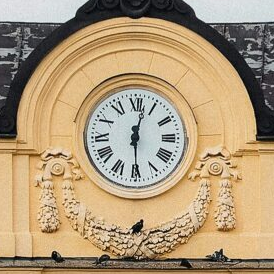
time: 12:29
